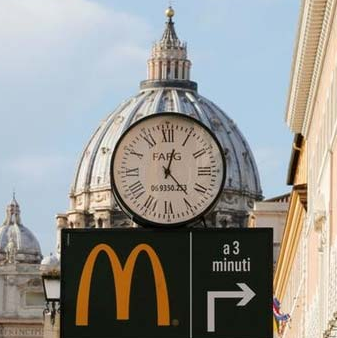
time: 12:23
